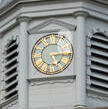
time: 5:15
